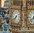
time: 7:38
